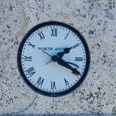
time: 2:19
